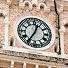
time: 12:35
